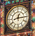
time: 12:14
